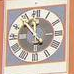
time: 4:53
